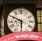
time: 5:49
